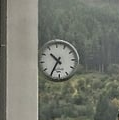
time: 10:35
